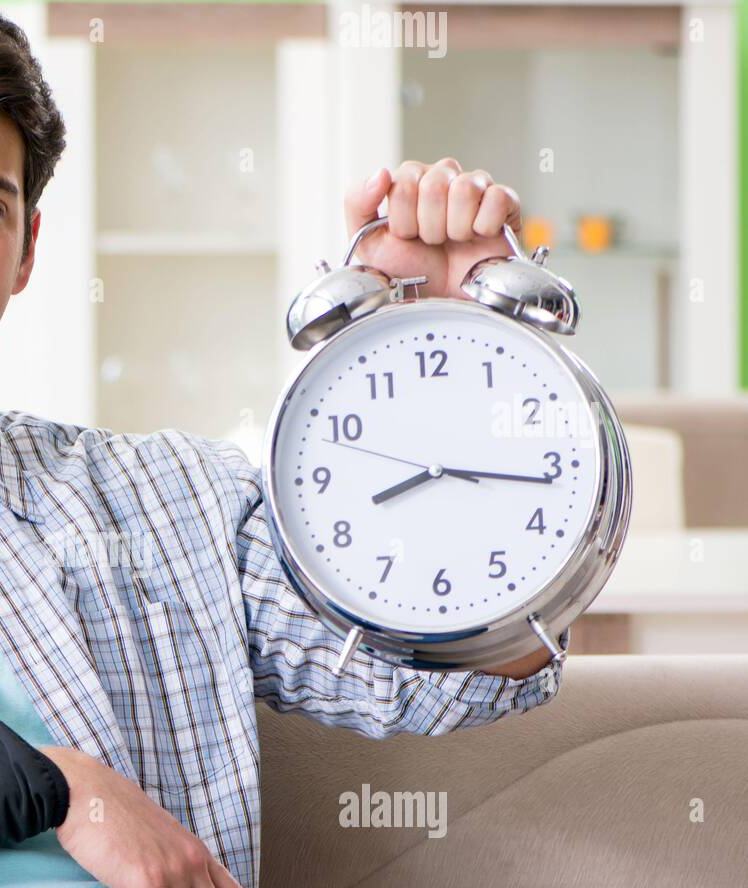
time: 8:16
